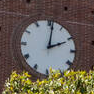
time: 2:01
